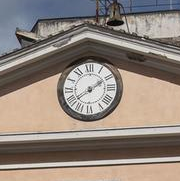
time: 2:09
